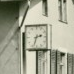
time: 2:33
